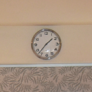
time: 1:37
